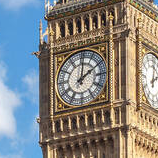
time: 2:01
